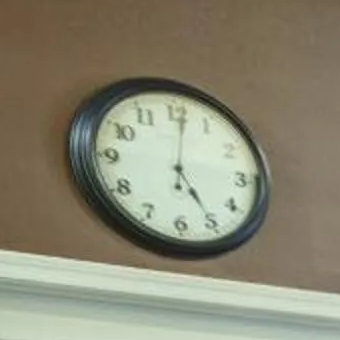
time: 5:01
